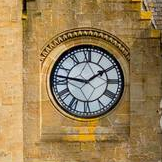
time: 1:46
